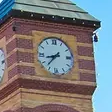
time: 8:37
